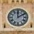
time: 12:09
